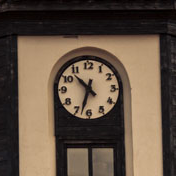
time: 10:32
